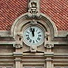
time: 11:56
